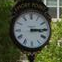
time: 3:14
